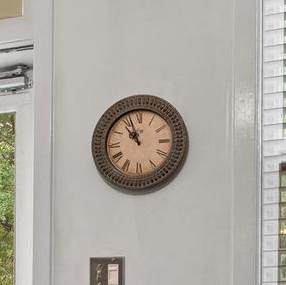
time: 10:56
